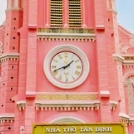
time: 1:41
